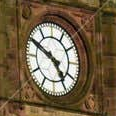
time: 4:50
